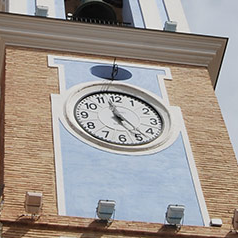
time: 4:57
